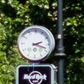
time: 2:18
